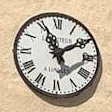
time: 11:09
